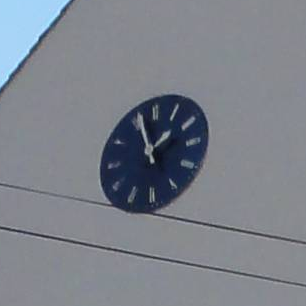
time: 1:56
